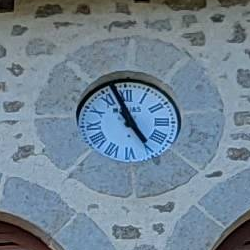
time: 4:57
